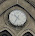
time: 10:34
